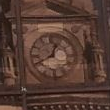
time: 12:40
